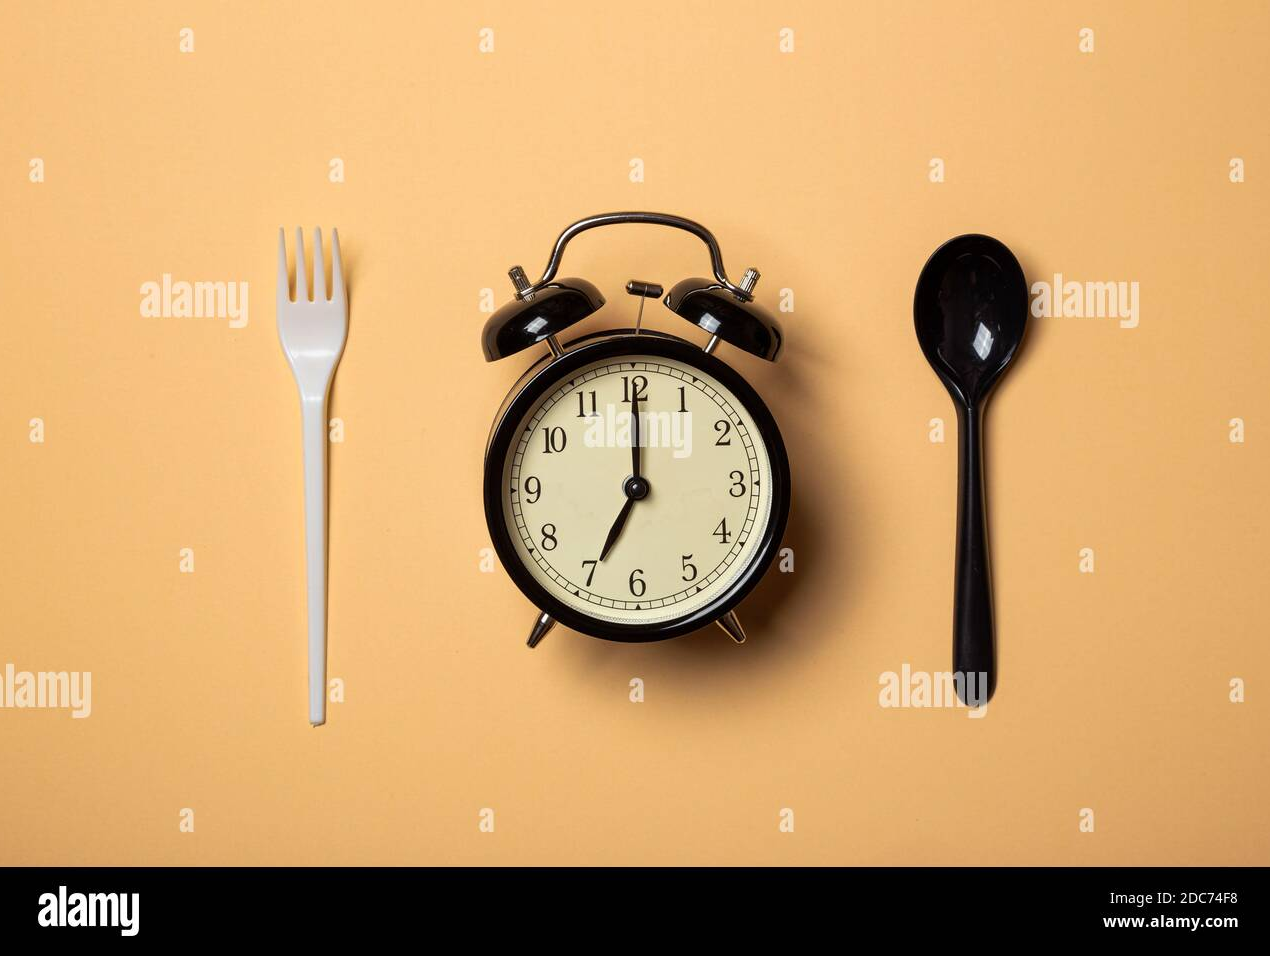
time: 7:00
